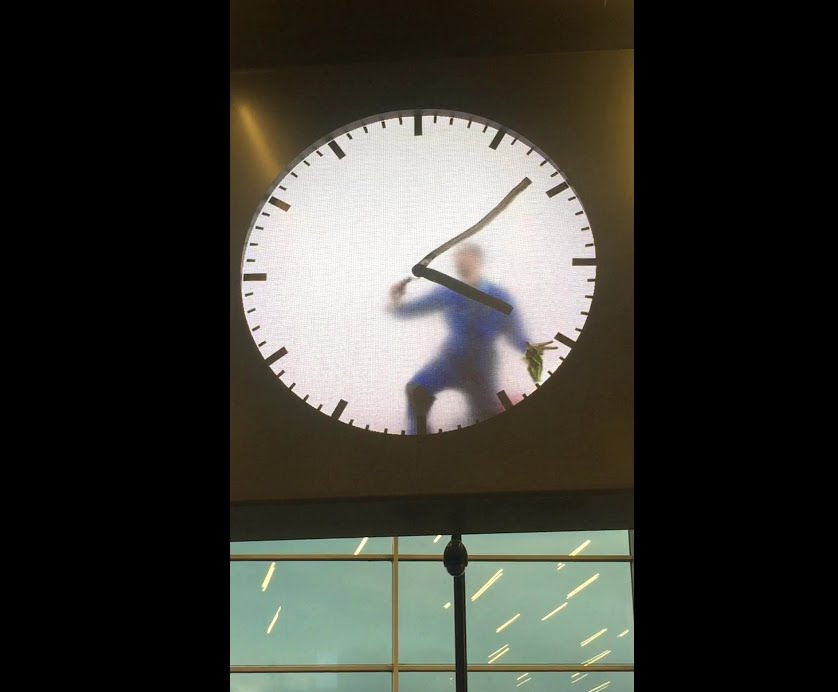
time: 4:08
